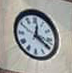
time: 12:19
